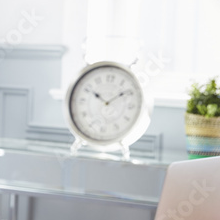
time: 10:09
